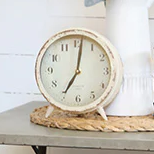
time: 7:01
